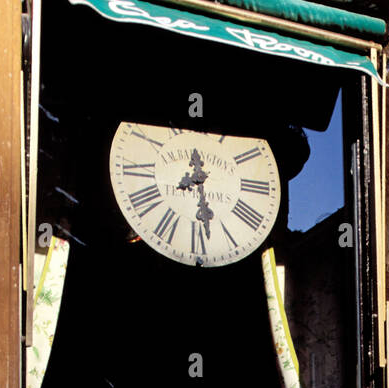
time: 7:28
